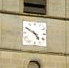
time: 4:50
